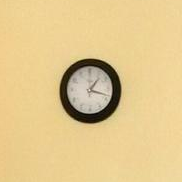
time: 1:17
